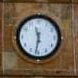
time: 11:31
